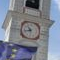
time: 10:42
